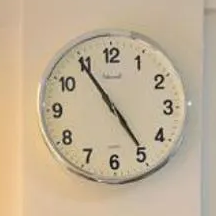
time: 4:54
